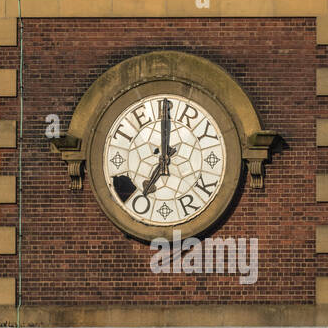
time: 7:00
